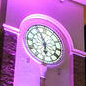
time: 5:55
